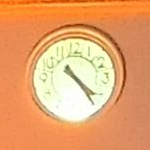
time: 4:23
